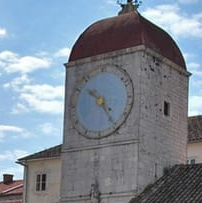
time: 10:24
